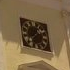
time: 1:37
